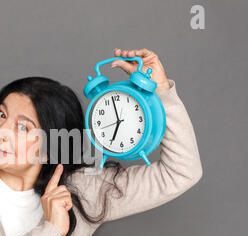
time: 6:58
